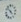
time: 4:52
